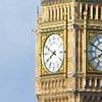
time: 7:49
